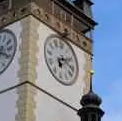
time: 6:10
